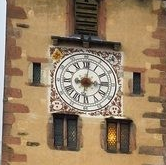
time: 3:01
